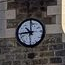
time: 10:43
